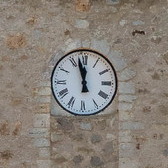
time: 11:57
